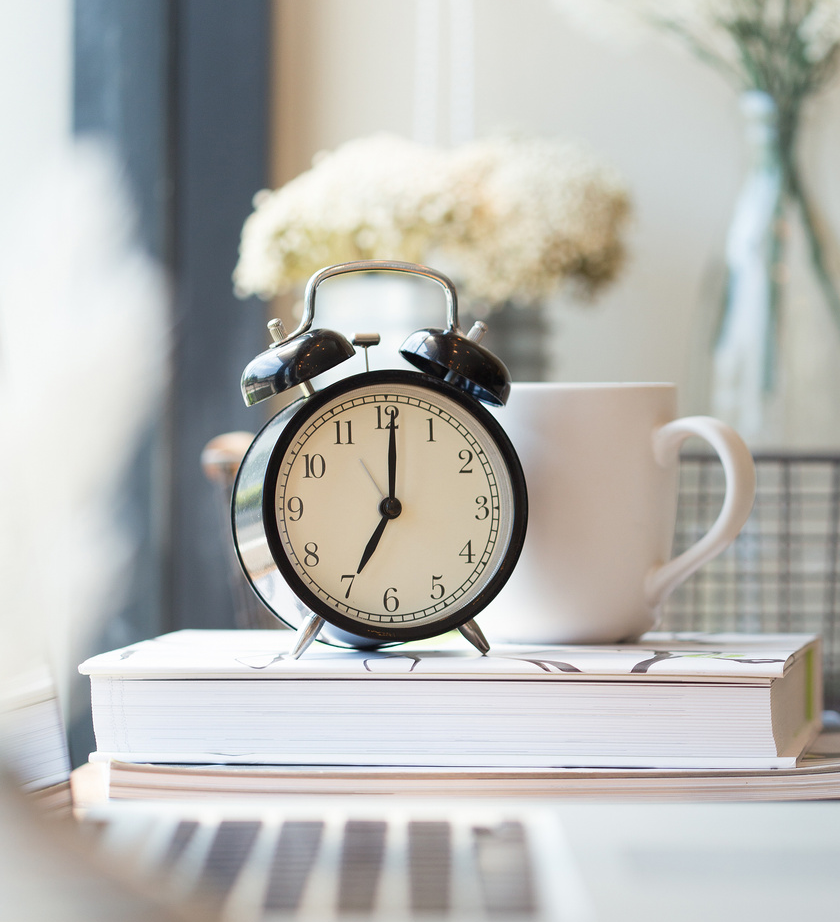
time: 7:00
